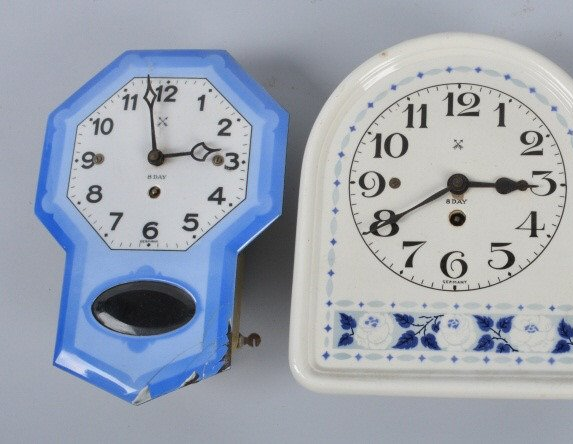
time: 2:57
